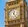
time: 12:24
